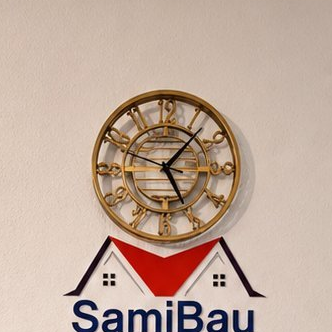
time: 5:06
